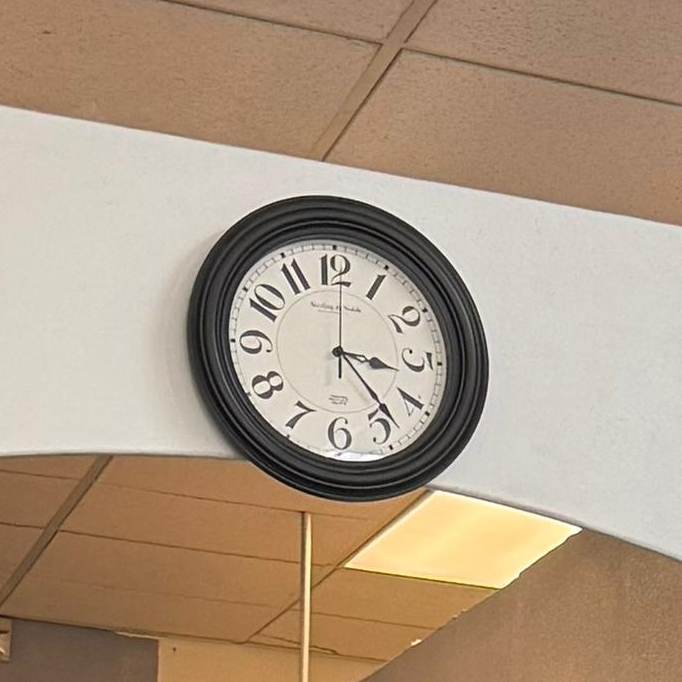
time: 3:23
